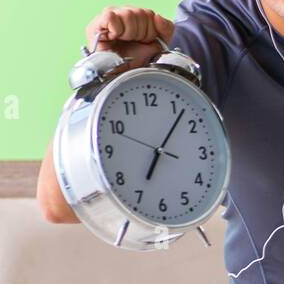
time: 7:06
